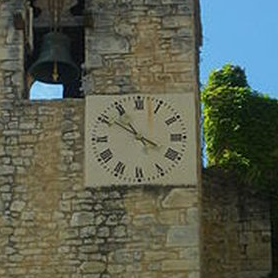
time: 3:51
